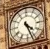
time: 4:26
